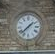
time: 1:37
